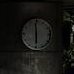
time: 5:59
